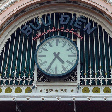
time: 4:35
